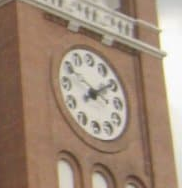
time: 8:09
